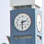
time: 2:30
